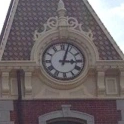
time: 3:03
